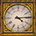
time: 4:13
